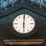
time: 6:00
